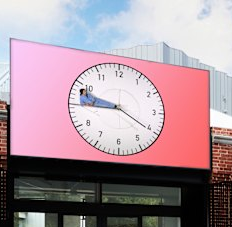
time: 9:20
